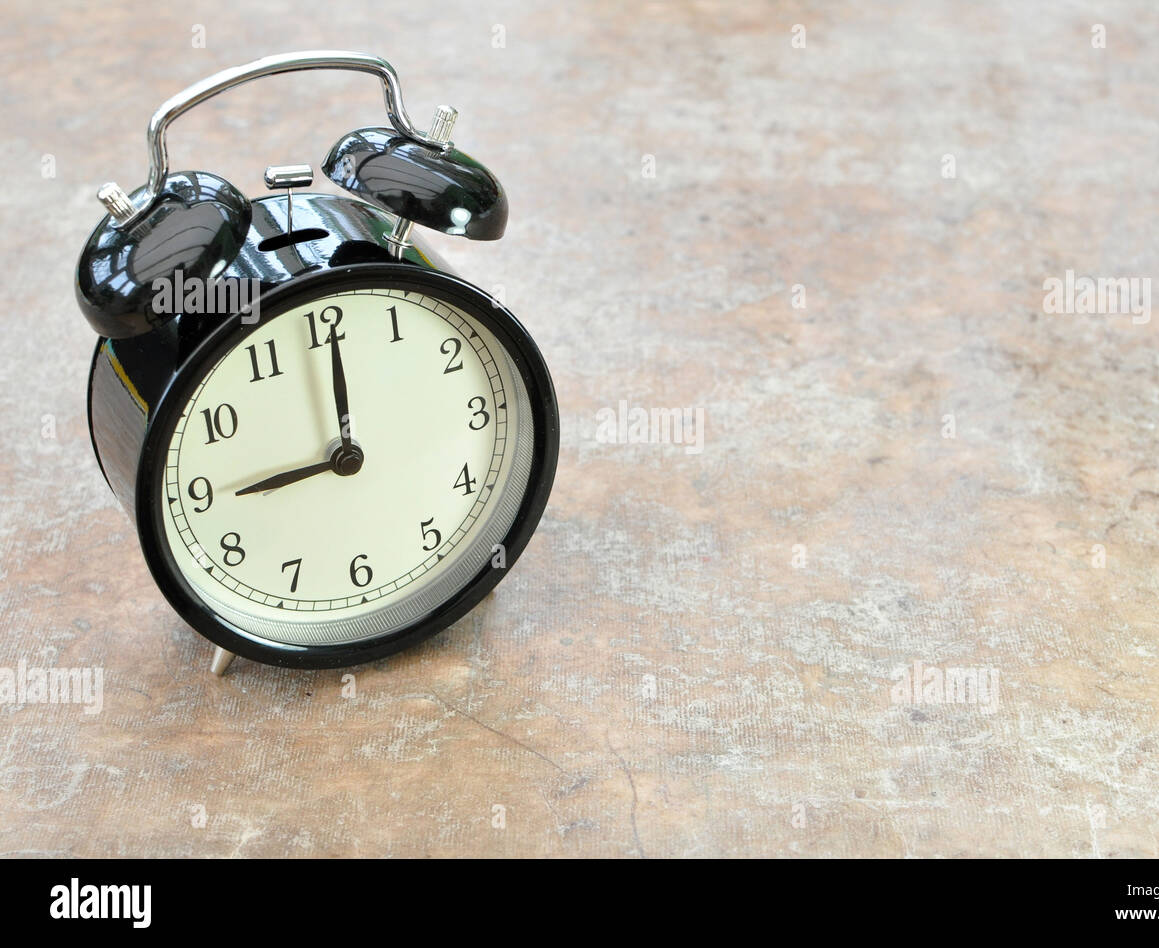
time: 9:00
